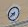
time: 8:38
